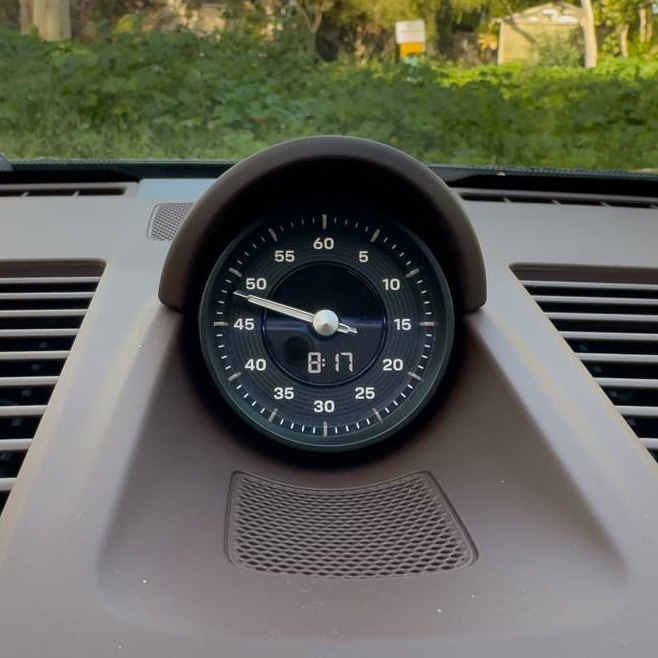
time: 9:48
